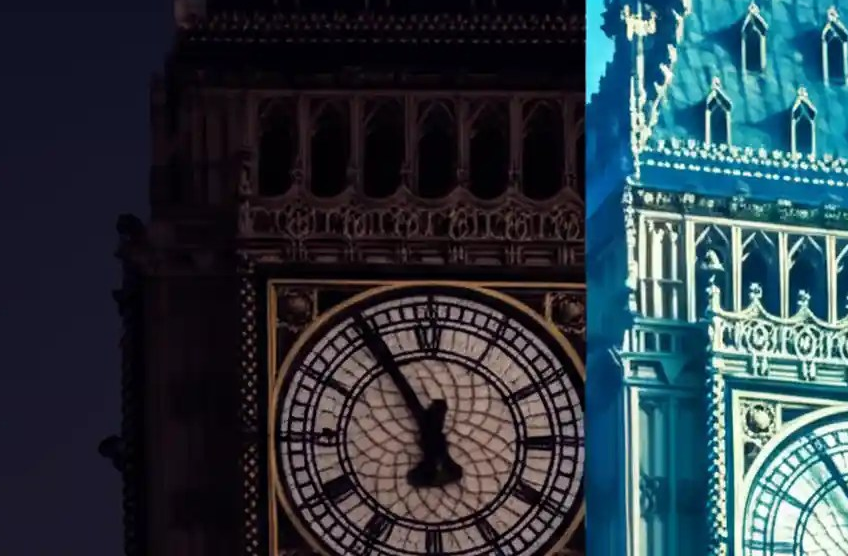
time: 6:54
